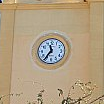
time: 11:36
